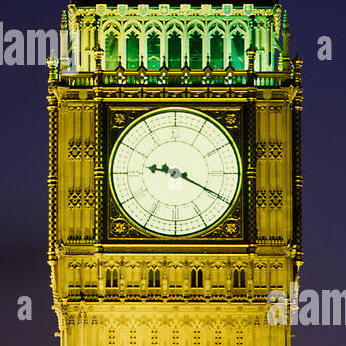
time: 9:19
